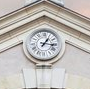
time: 1:16
